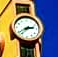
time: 2:38
